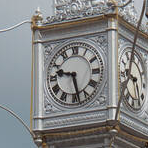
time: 9:28
